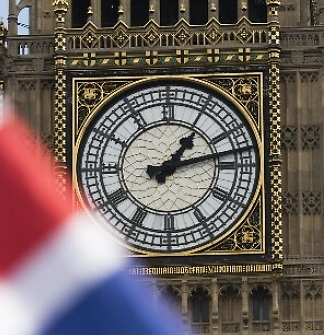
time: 1:12
